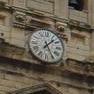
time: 1:25
